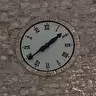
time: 1:39
